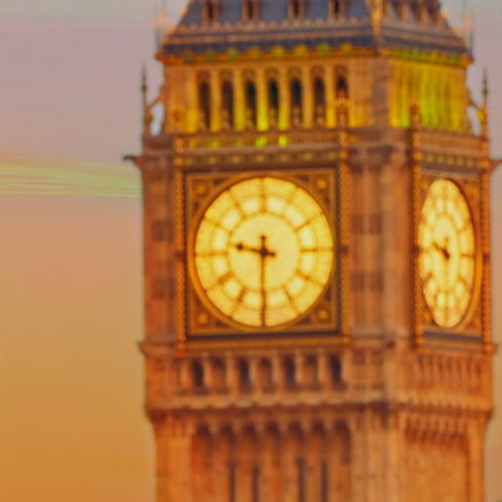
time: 9:30
